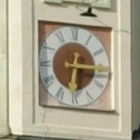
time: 6:15
